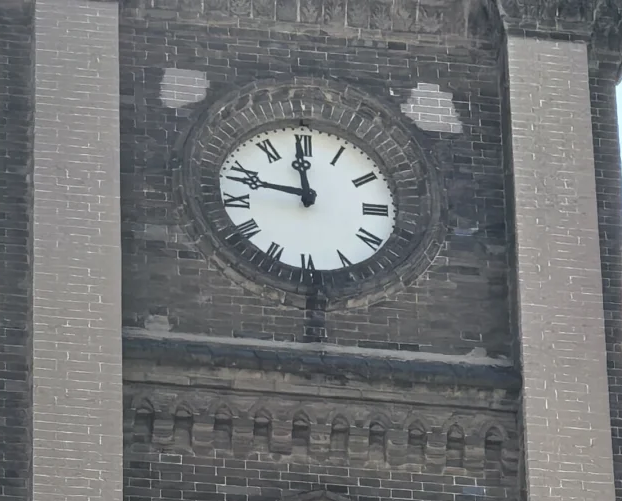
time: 11:47
